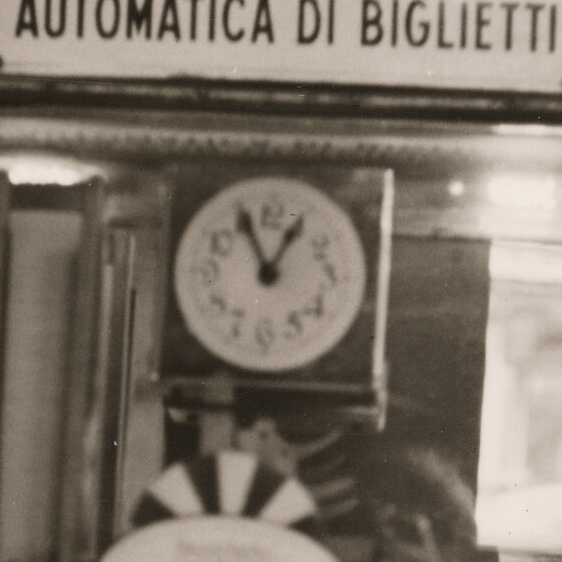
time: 12:55
